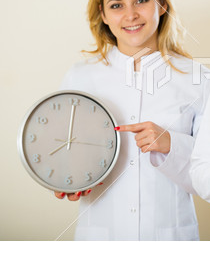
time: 8:00
